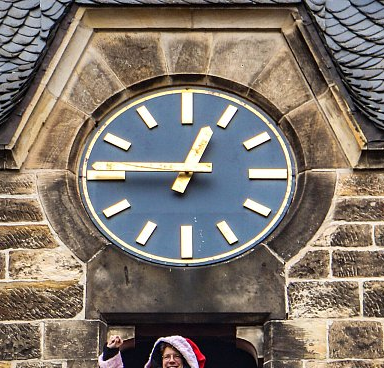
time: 12:45
